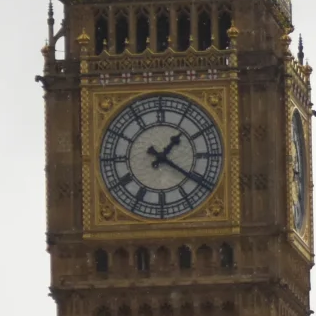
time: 1:20
